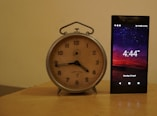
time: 4:43
